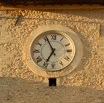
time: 6:55
